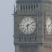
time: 6:10
